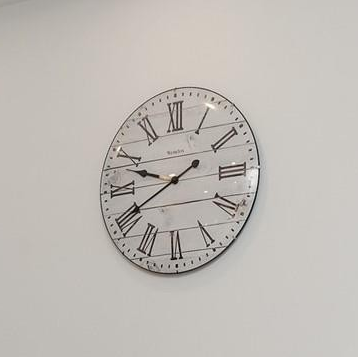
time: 9:40
